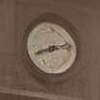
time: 8:12
